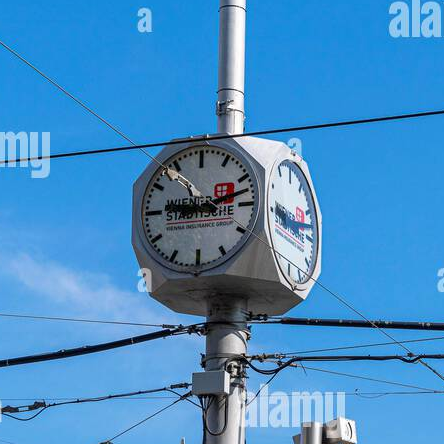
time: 9:12
